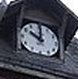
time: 10:00
